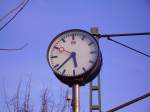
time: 5:38
